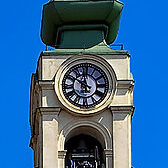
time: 11:50
